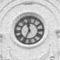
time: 11:34
